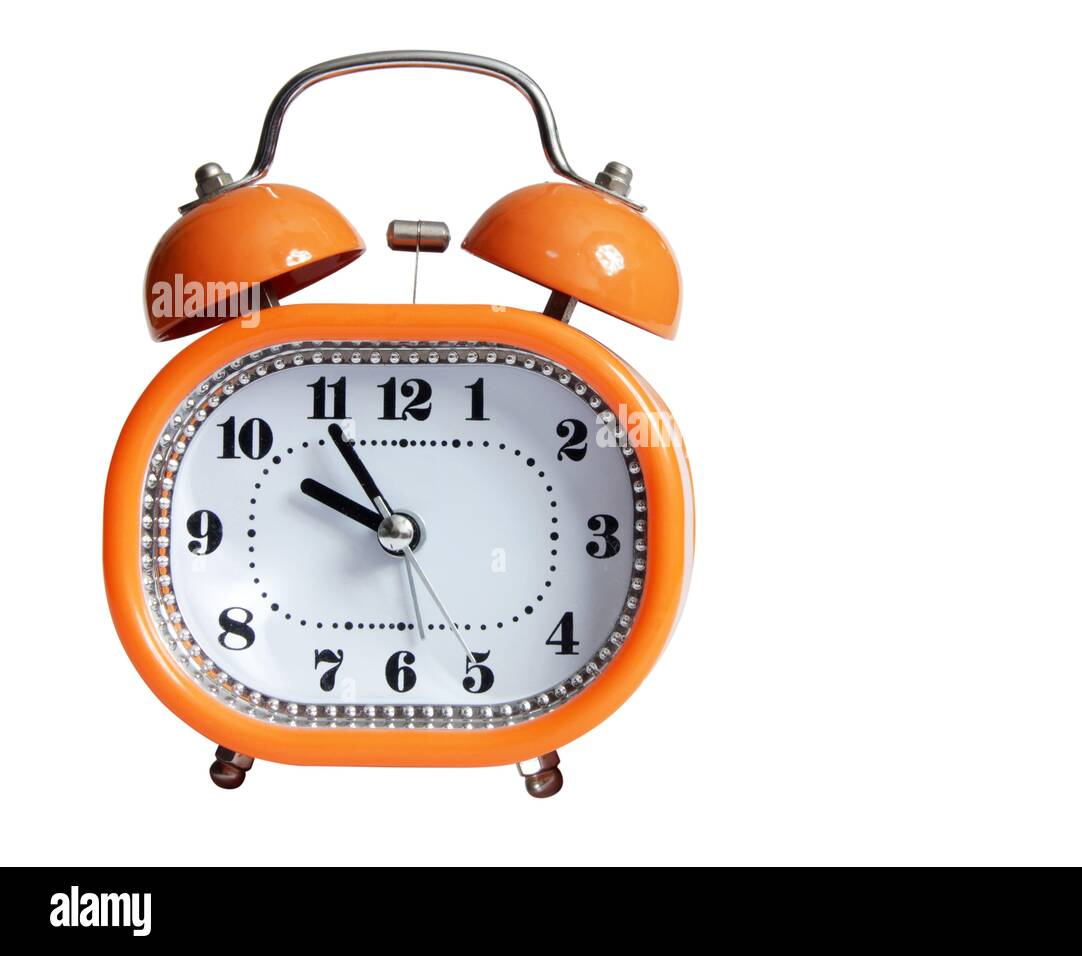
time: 9:54
